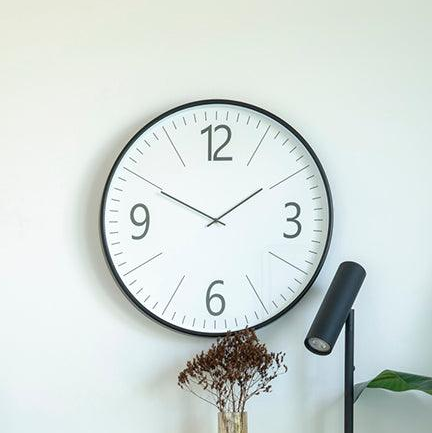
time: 1:49
